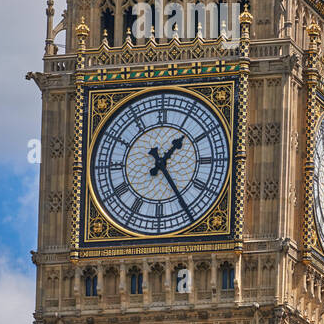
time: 1:24
